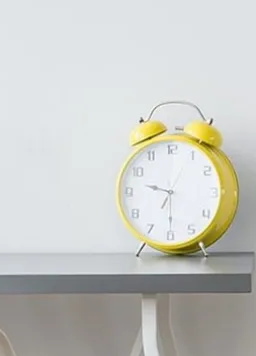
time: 9:29
